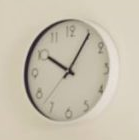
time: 10:05
